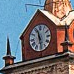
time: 11:28
